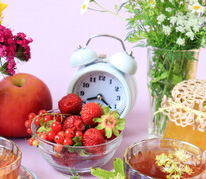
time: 8:21
